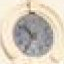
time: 10:34
